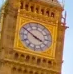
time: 3:50
